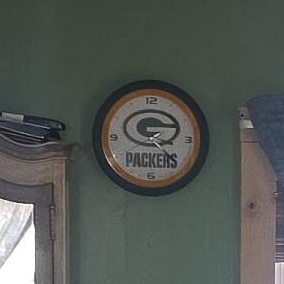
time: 3:23
